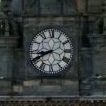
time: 8:40
